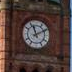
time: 11:10
